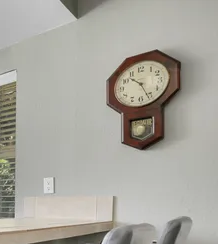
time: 10:26
